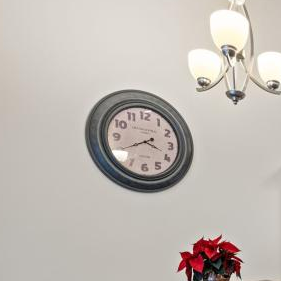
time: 3:40
